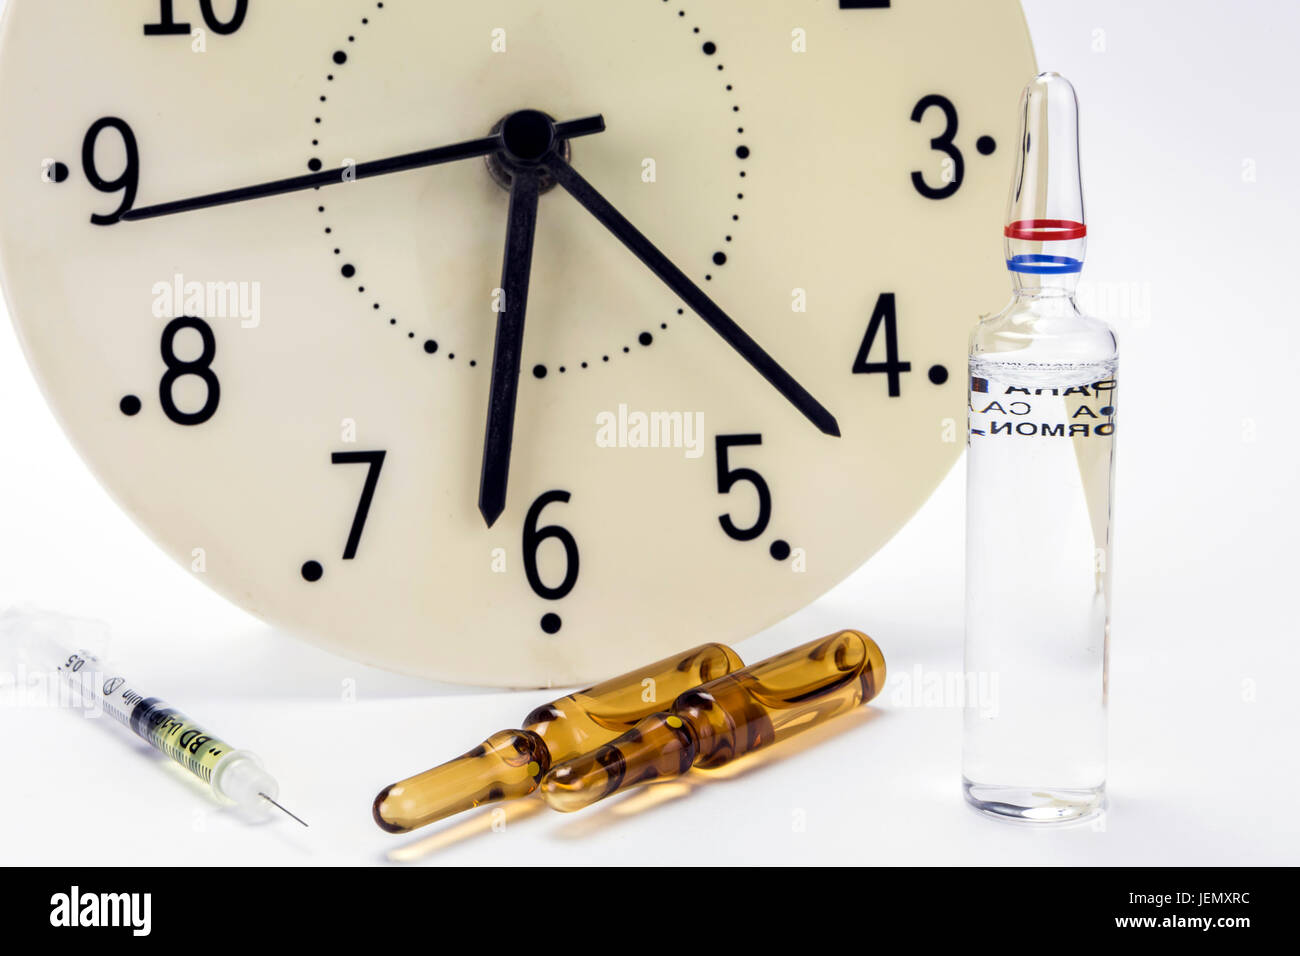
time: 6:22
